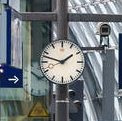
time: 1:47
